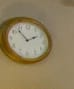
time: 1:53
